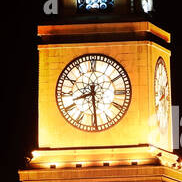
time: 8:29
